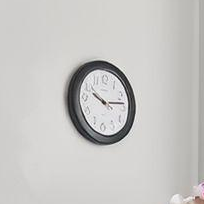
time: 10:13
